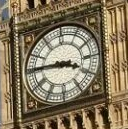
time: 3:45
